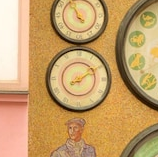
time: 8:09
